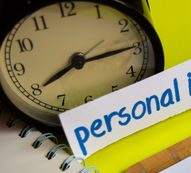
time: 8:14
